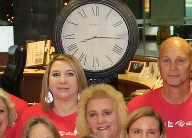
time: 8:15
